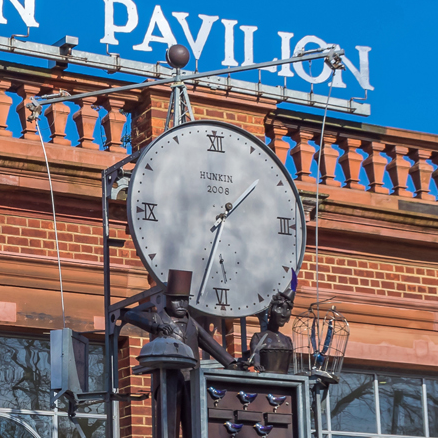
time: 1:33
